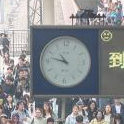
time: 10:47
